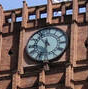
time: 10:32
